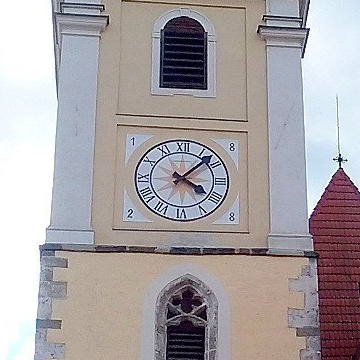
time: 4:07
